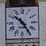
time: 10:24
